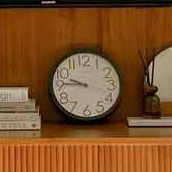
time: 9:45
